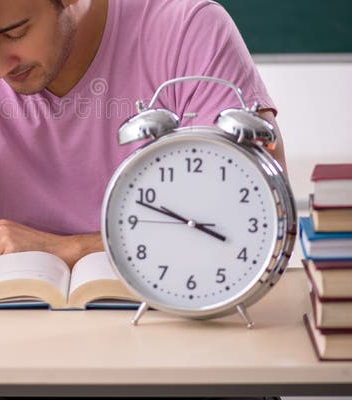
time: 3:48
